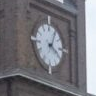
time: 4:04
